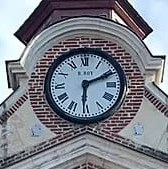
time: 6:10
